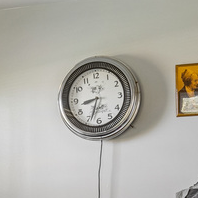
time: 8:33
